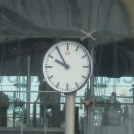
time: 9:54
